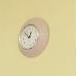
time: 12:52
